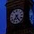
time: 7:25
